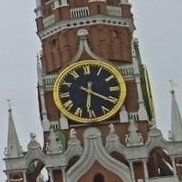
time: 6:20
